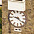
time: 9:22
